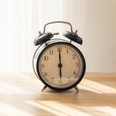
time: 6:00
